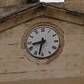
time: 8:32
